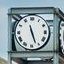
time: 11:26
